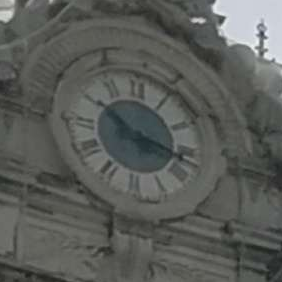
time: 10:17
